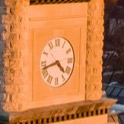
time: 4:42
